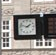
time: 1:47
